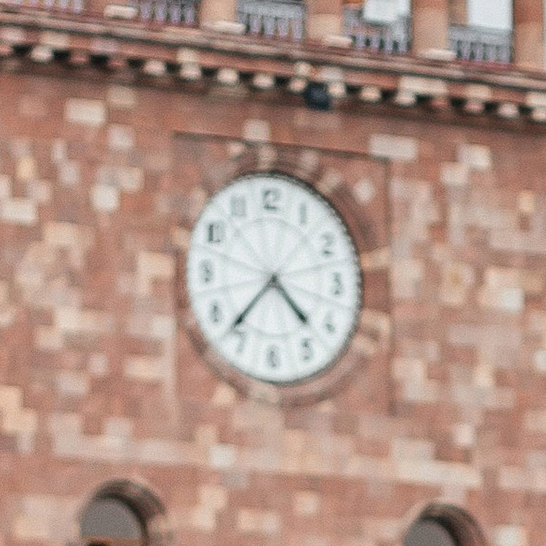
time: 4:37
